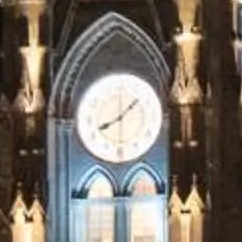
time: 8:07
